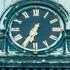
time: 6:34
